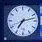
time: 7:12
